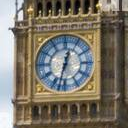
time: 12:32
